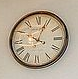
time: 10:03
